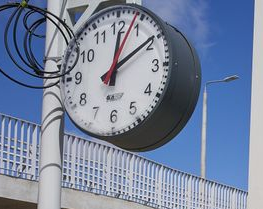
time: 12:09
